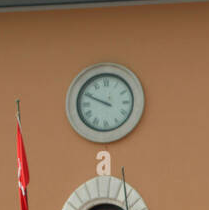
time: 9:49
